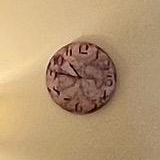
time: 10:46
